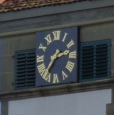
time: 2:36
